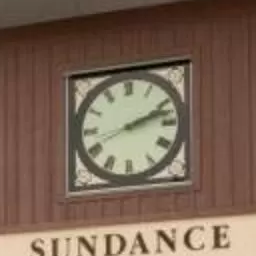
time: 2:12
